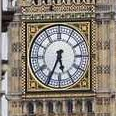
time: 5:34
